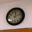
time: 12:11
